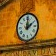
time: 2:00
